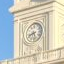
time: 8:27
